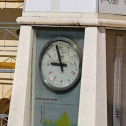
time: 8:57
